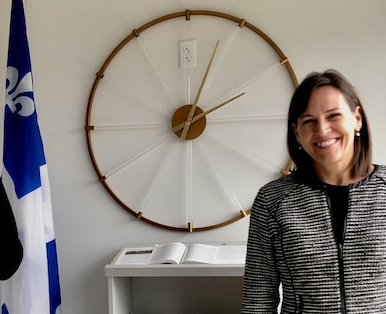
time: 2:03
